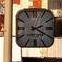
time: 2:19
